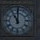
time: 11:00
